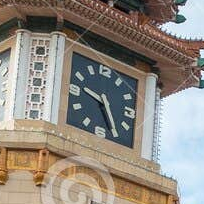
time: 9:25
